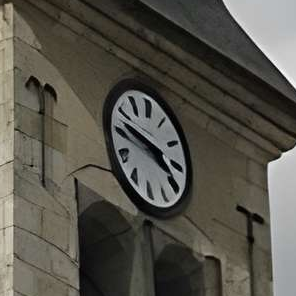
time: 3:46
